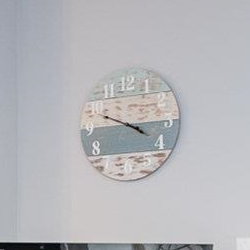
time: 3:48
